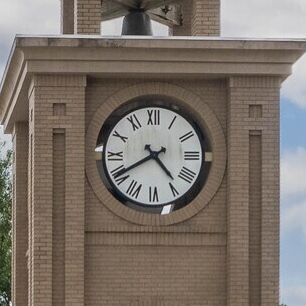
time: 4:40
